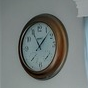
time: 11:07
